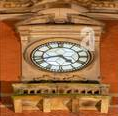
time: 4:42
